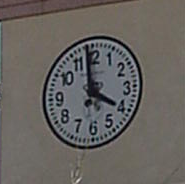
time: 3:58
